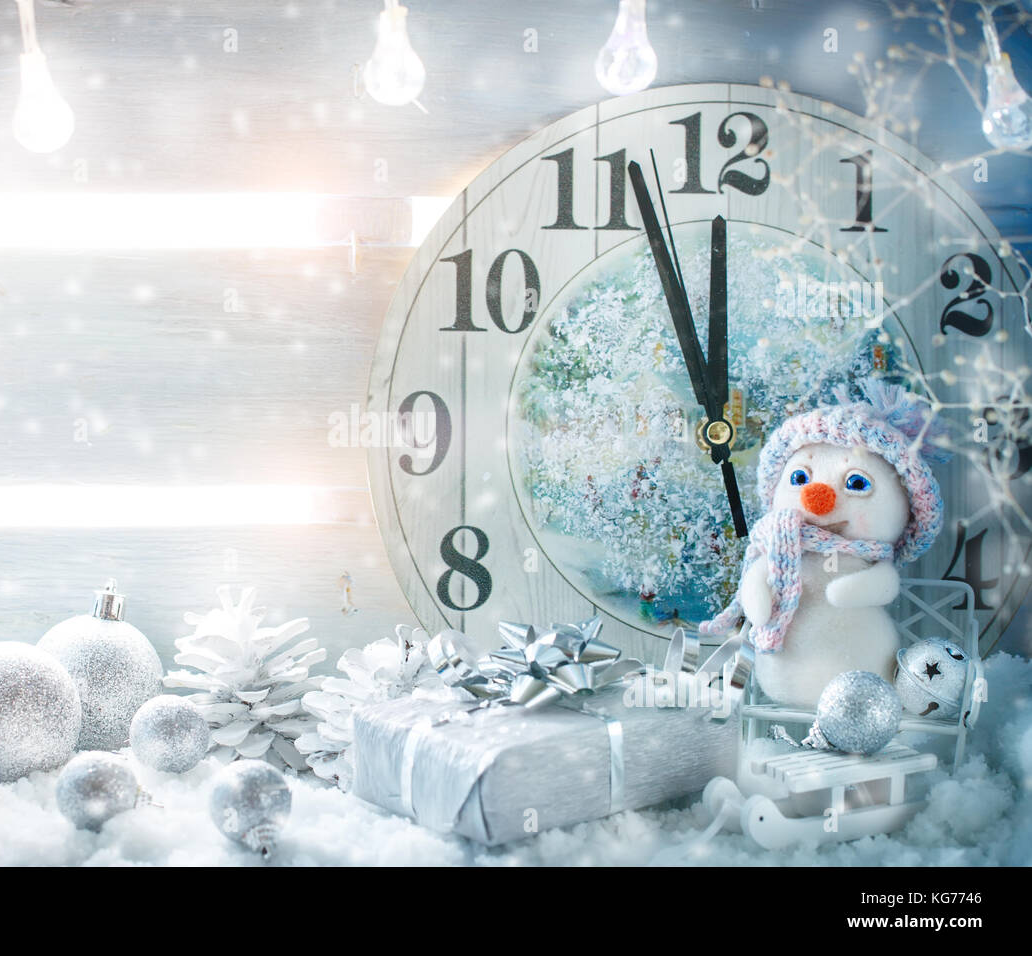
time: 11:56
